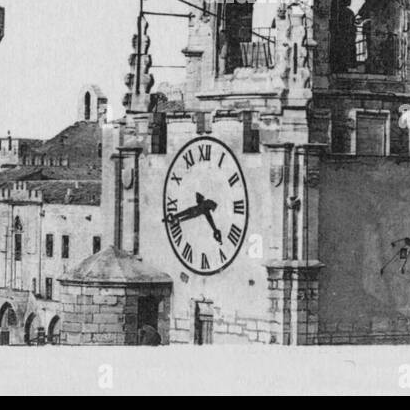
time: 4:42
